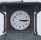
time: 3:14
